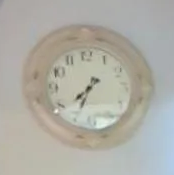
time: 7:34
